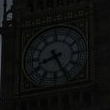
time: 8:26
